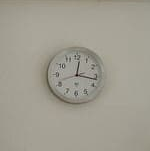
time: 12:16
